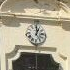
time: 1:01
